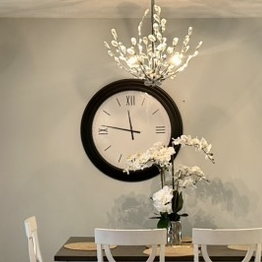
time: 11:46
